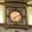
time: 7:12
